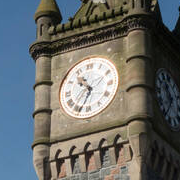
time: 10:34
